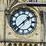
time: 1:37
